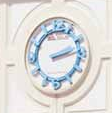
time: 2:13
